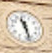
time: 11:28
